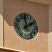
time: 1:58
